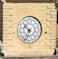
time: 10:34
